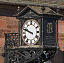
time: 9:48
